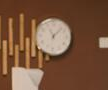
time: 11:07
